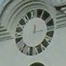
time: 12:13
